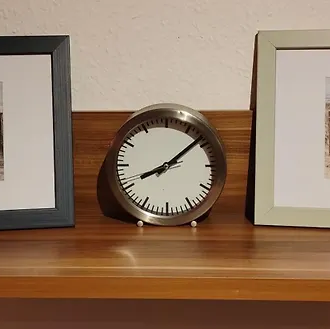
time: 8:08
